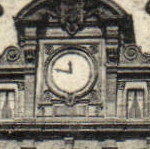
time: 11:46
